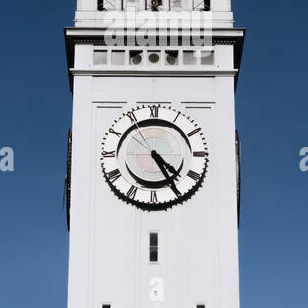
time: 4:24
